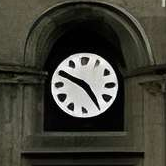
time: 4:49
